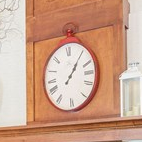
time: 1:05
